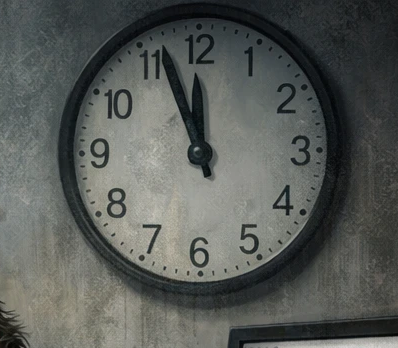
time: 11:56
